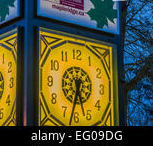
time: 5:32
